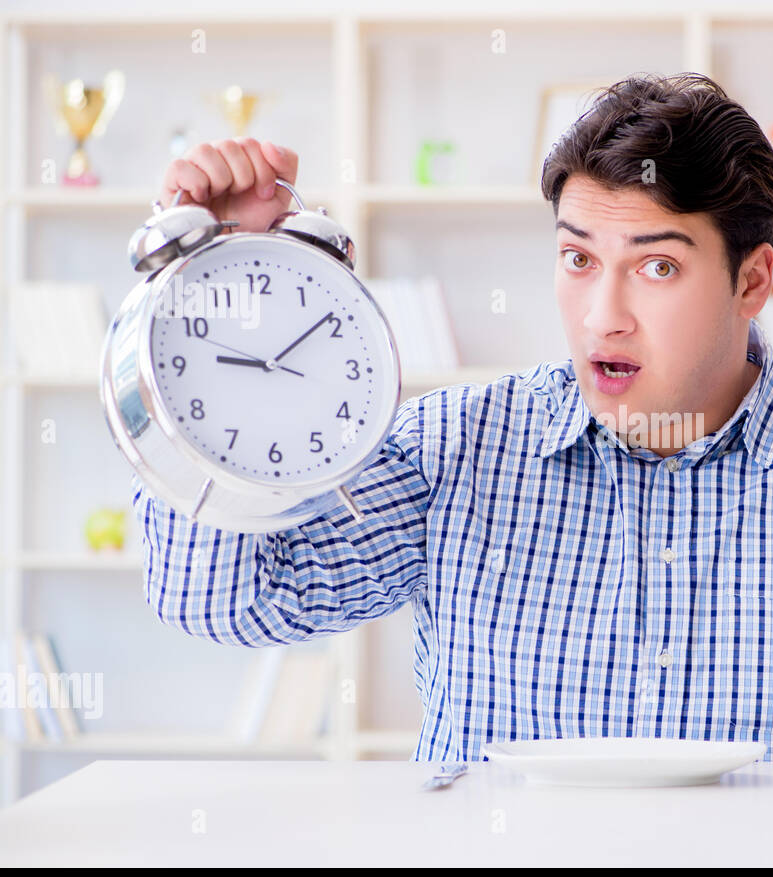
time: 9:09
